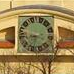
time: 8:32
